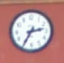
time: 2:35
